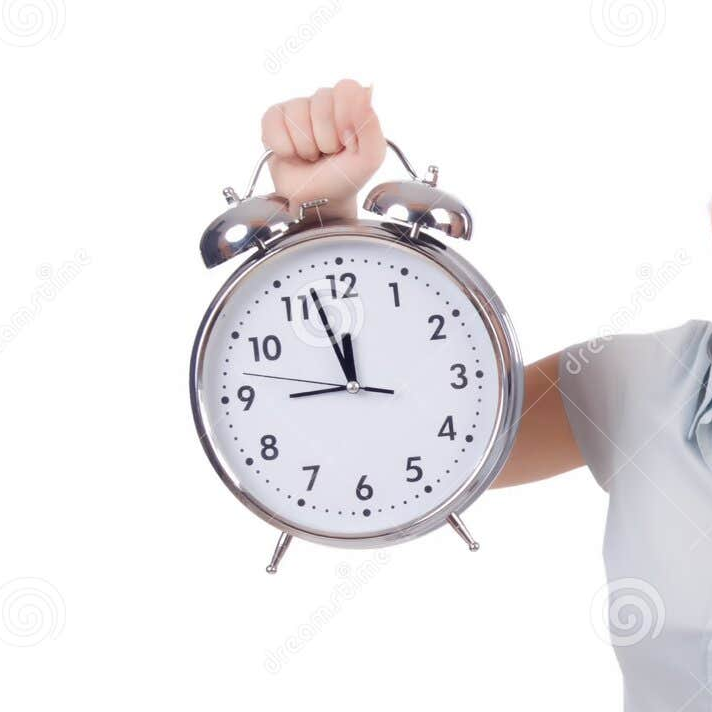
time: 8:57
